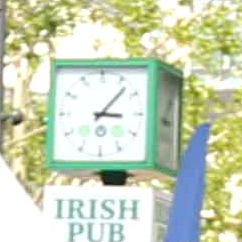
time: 3:07
